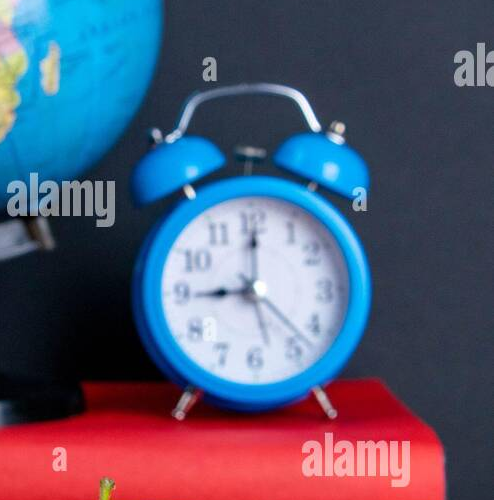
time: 9:00
